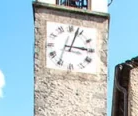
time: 3:03
